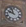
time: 9:56
